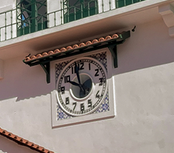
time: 9:57
